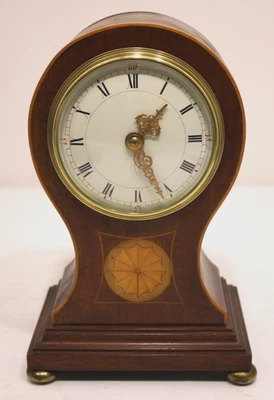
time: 1:26
